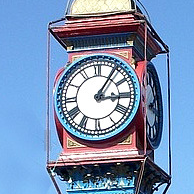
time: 3:05
